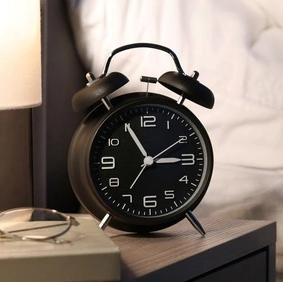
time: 2:55
